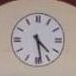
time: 4:28
